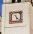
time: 5:23
